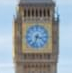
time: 3:33
